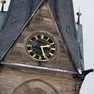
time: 2:26
